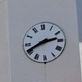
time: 2:40
